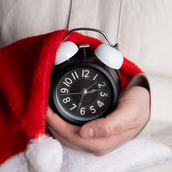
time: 2:32
